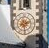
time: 2:29
